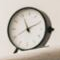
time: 11:10
